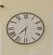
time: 7:30
